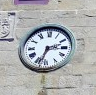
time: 2:33
